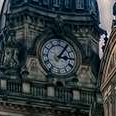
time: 3:05
